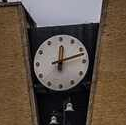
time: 12:12
